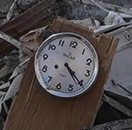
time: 4:20
